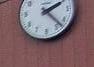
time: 2:22
